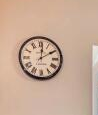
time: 2:01
